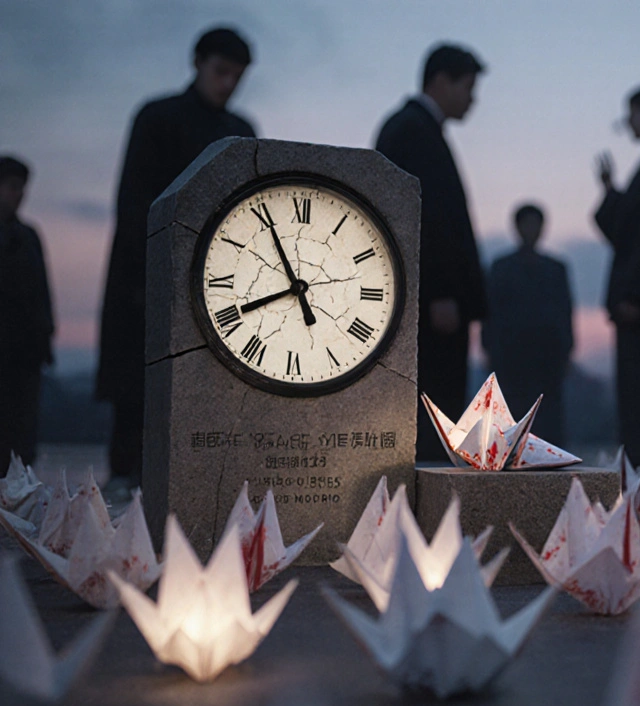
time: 7:55
